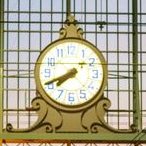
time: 7:40
